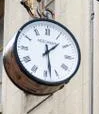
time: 1:28
